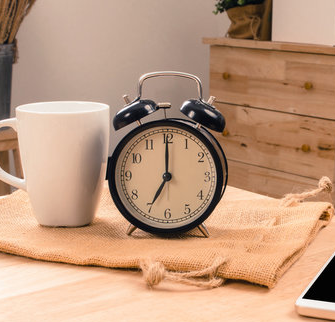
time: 7:00
